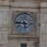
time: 5:45
